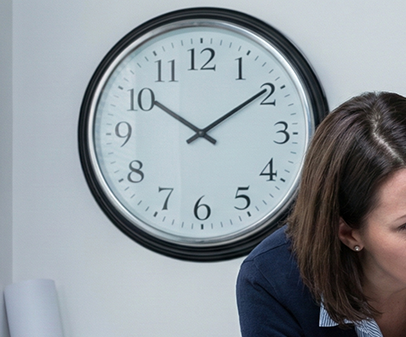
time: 10:09
